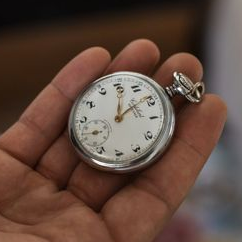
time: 12:08
